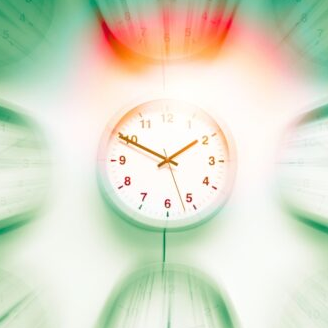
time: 1:49
